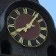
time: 8:06
